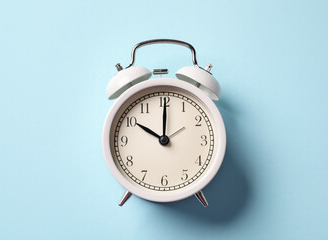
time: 10:00
